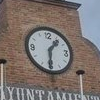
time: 1:30
